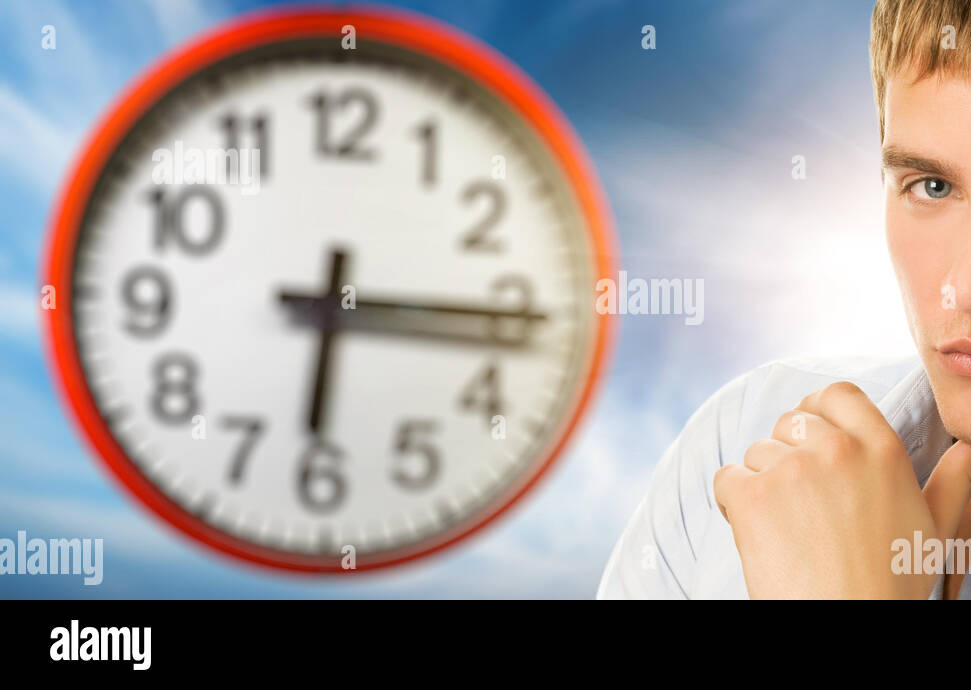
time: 6:15
